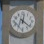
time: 12:21
